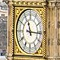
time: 11:15
